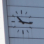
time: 10:15
